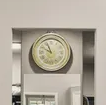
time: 9:56
